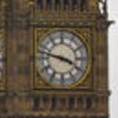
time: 3:47
